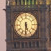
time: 5:30
